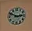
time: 2:49
